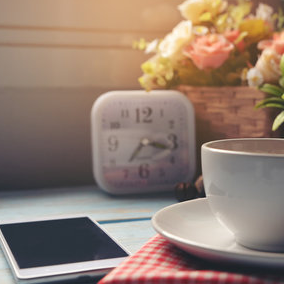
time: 7:17
